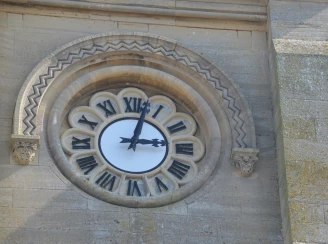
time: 3:02
